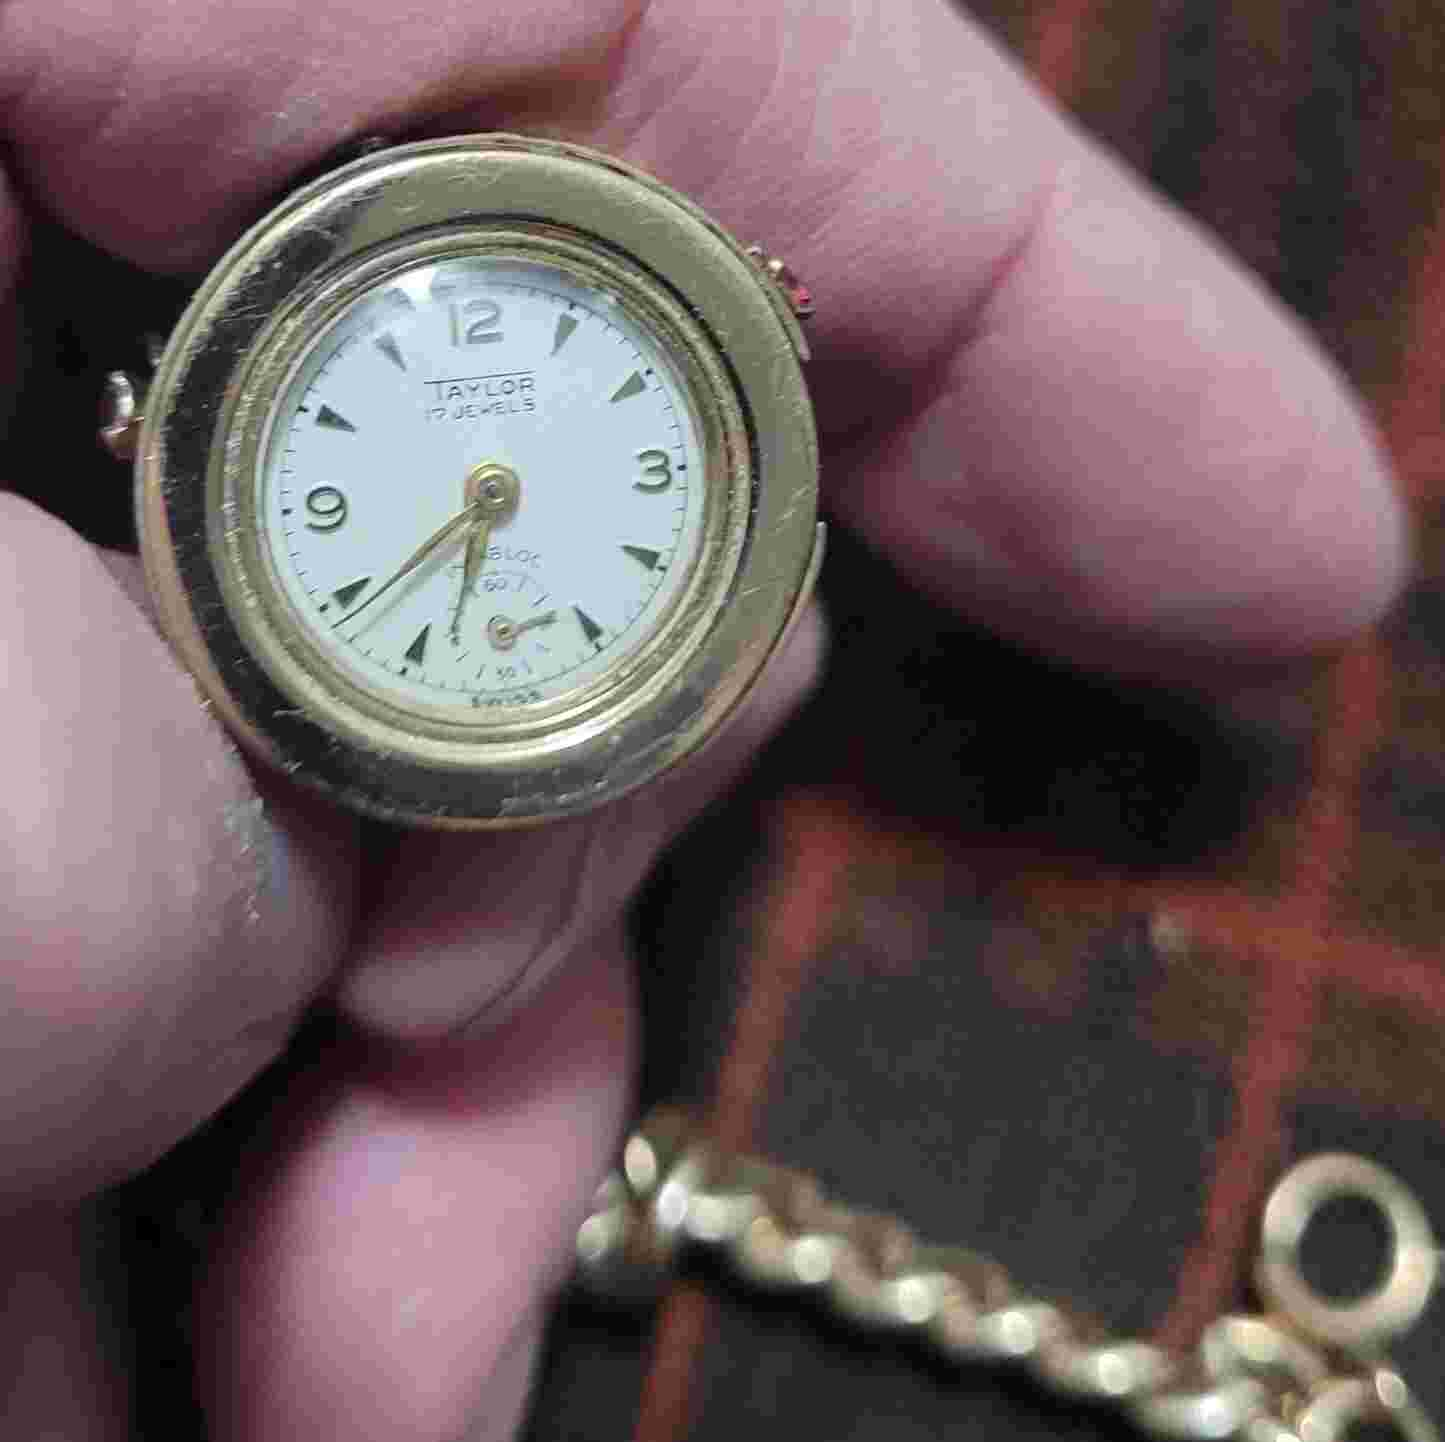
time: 6:39
